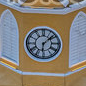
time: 6:08
